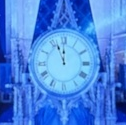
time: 11:56
